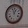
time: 12:57
